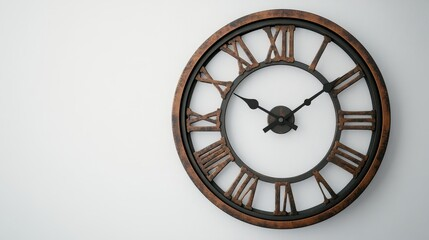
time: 10:09
